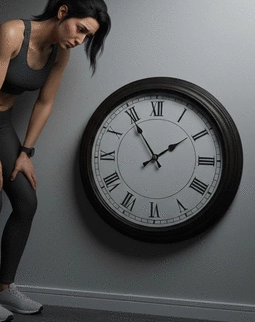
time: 1:54
